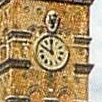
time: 11:49
